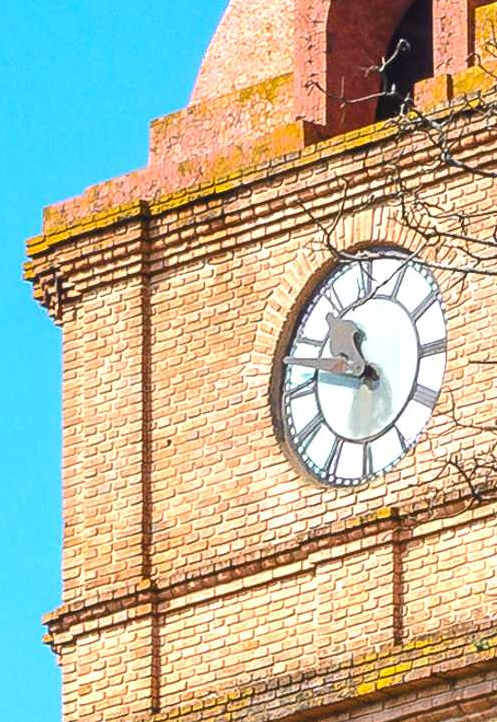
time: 10:47
